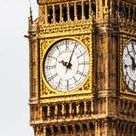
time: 10:04
